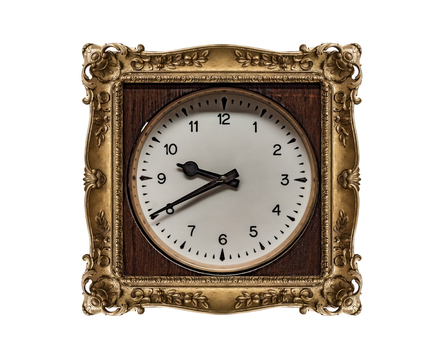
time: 9:40
